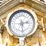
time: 2:27
